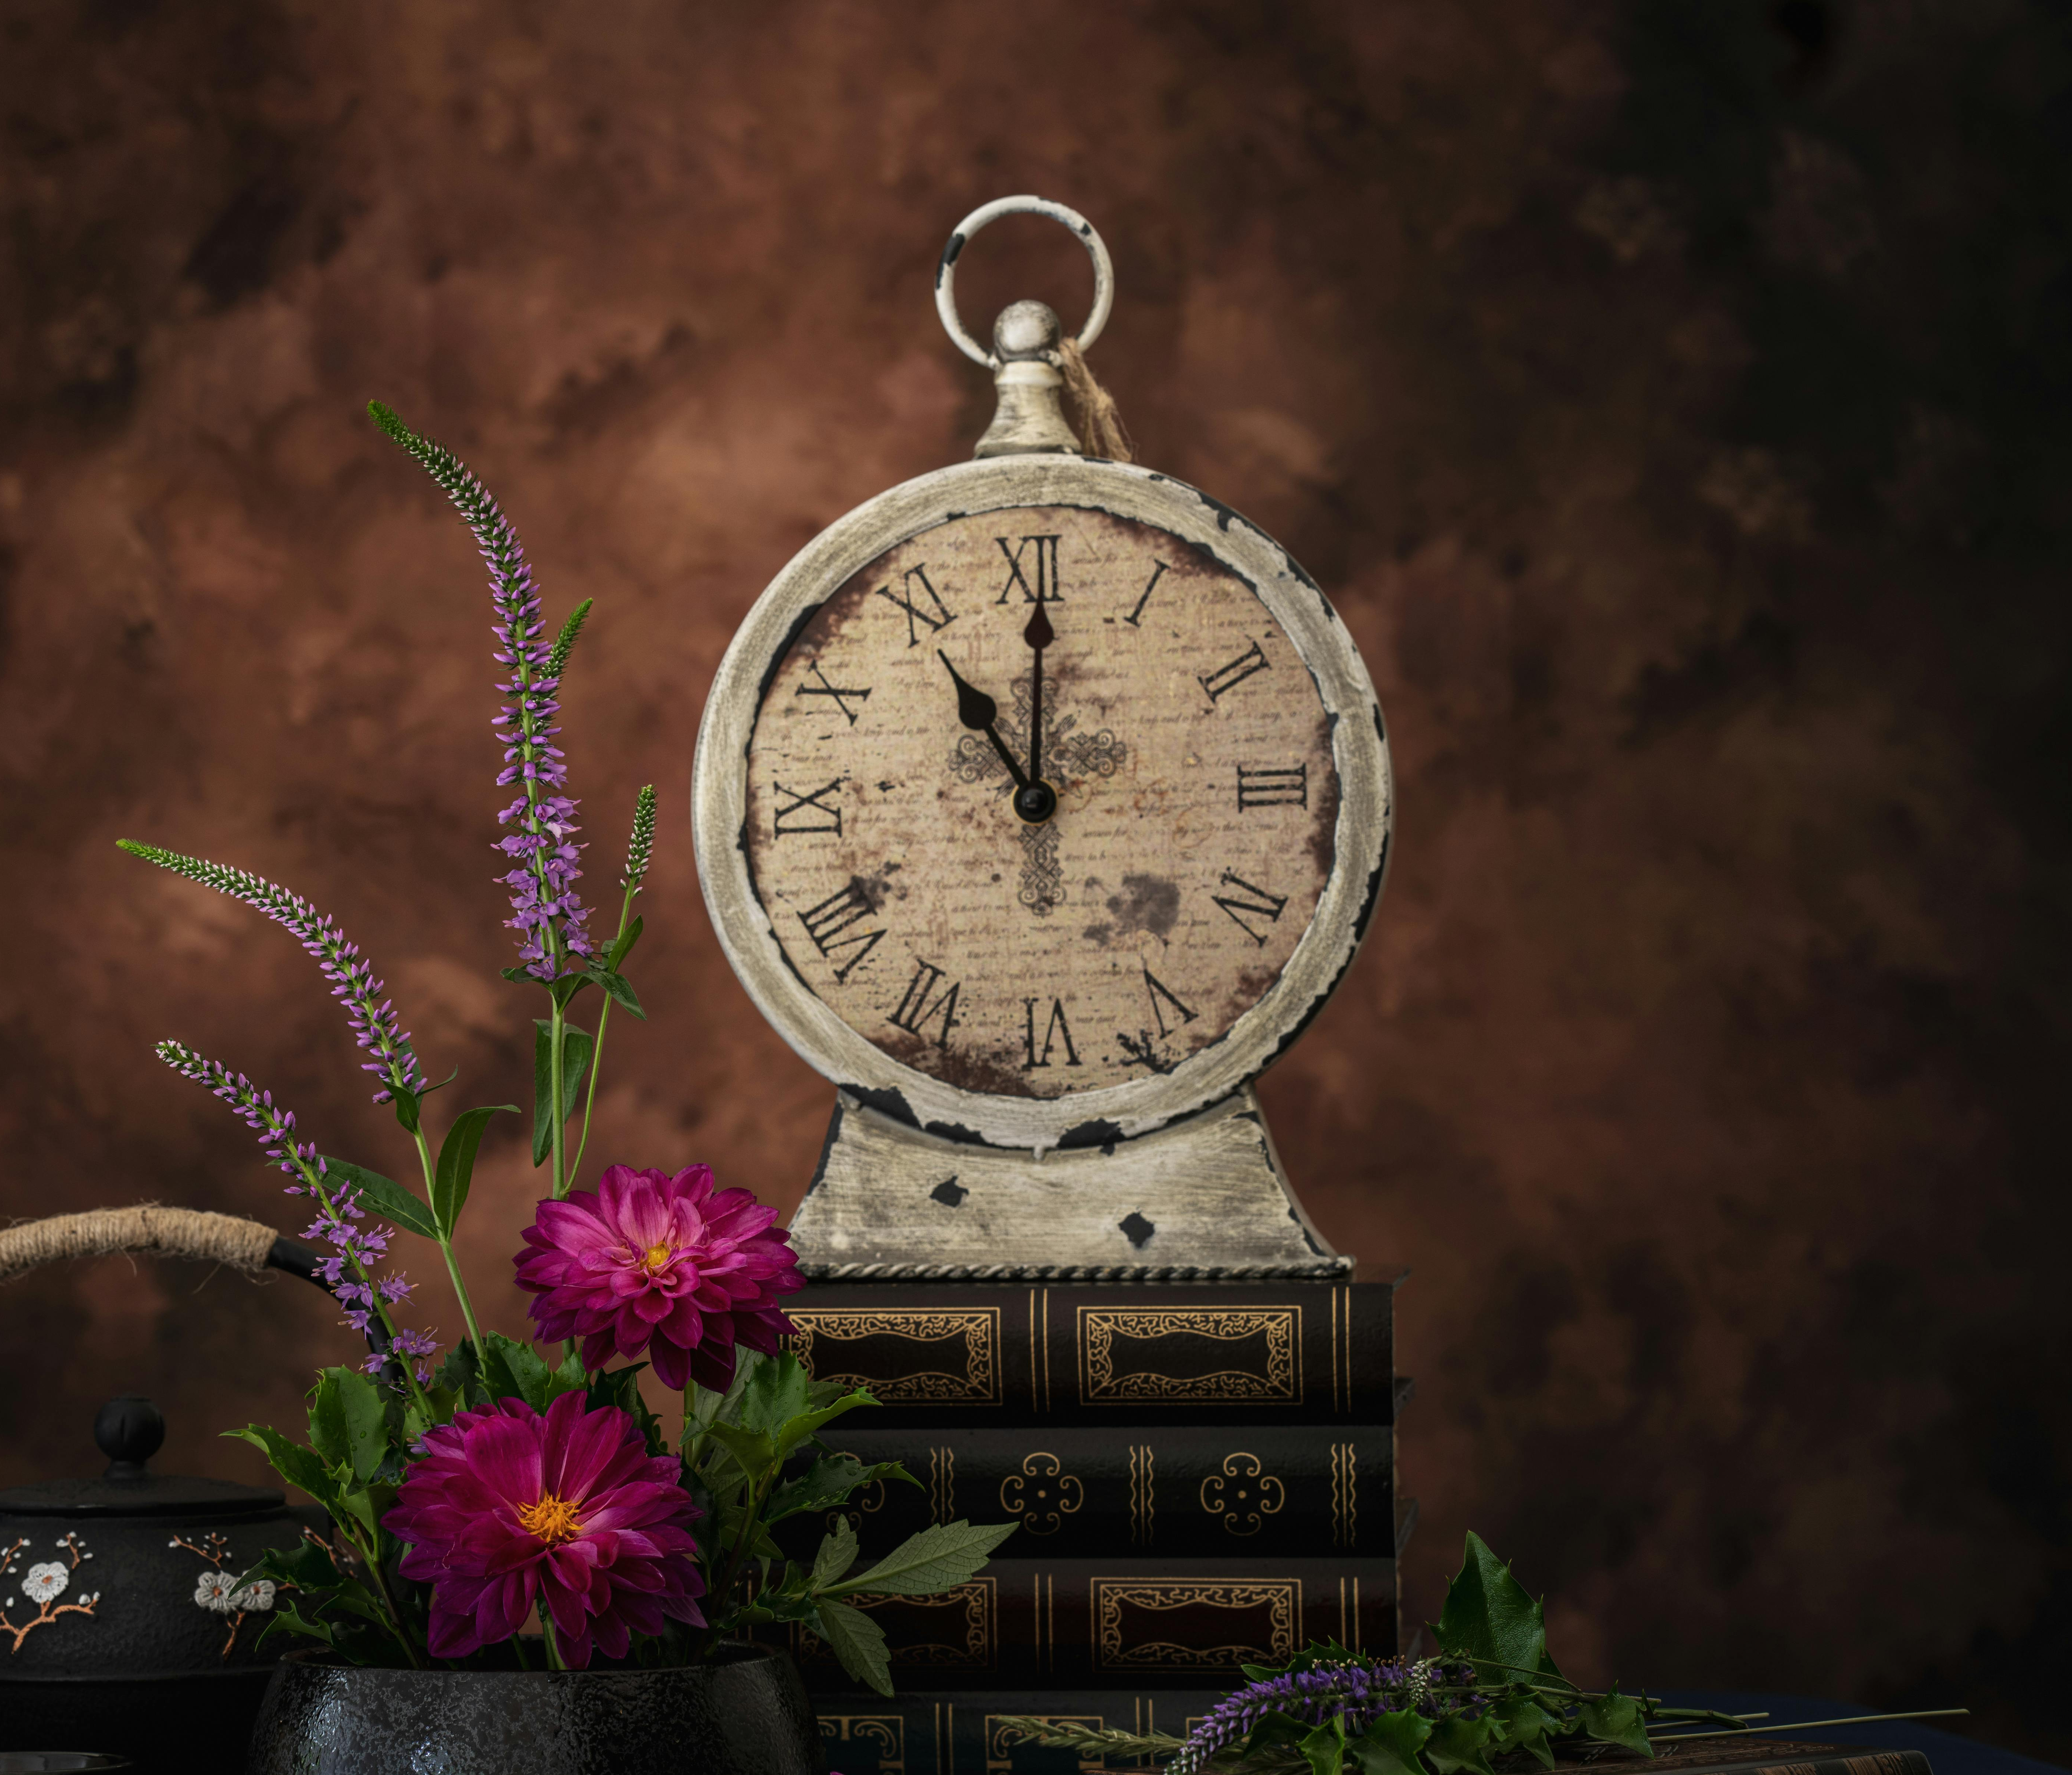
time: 11:00
